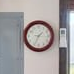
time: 1:34
